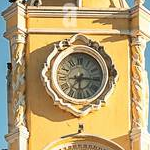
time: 6:15
